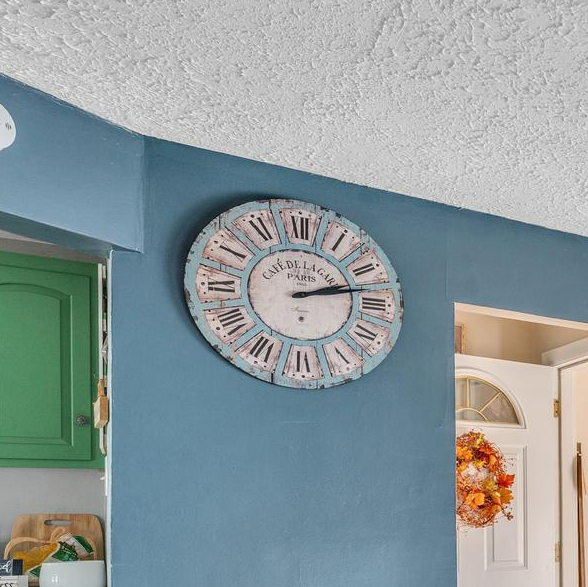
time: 2:12
